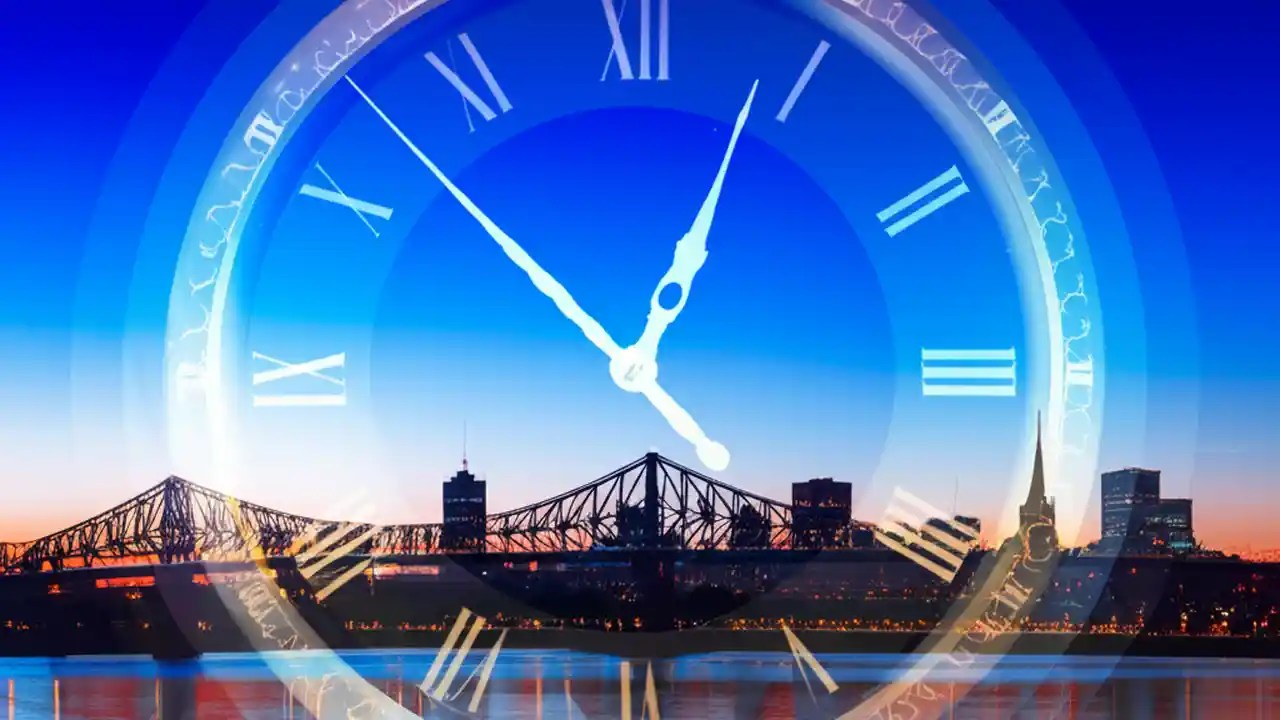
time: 12:52
